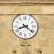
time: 8:21
